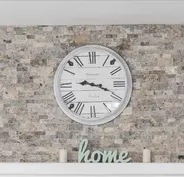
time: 9:18
